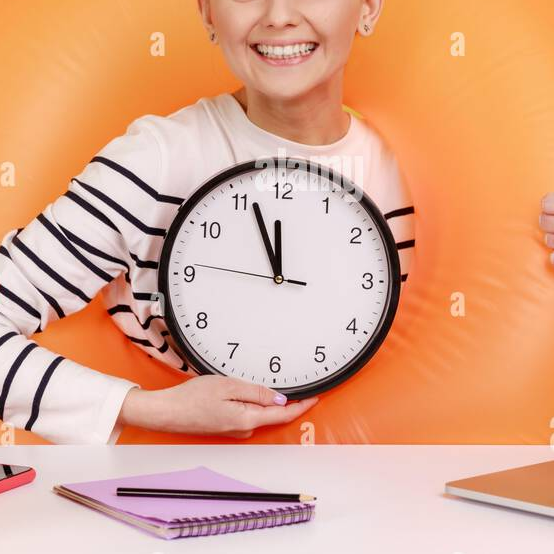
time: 11:56
